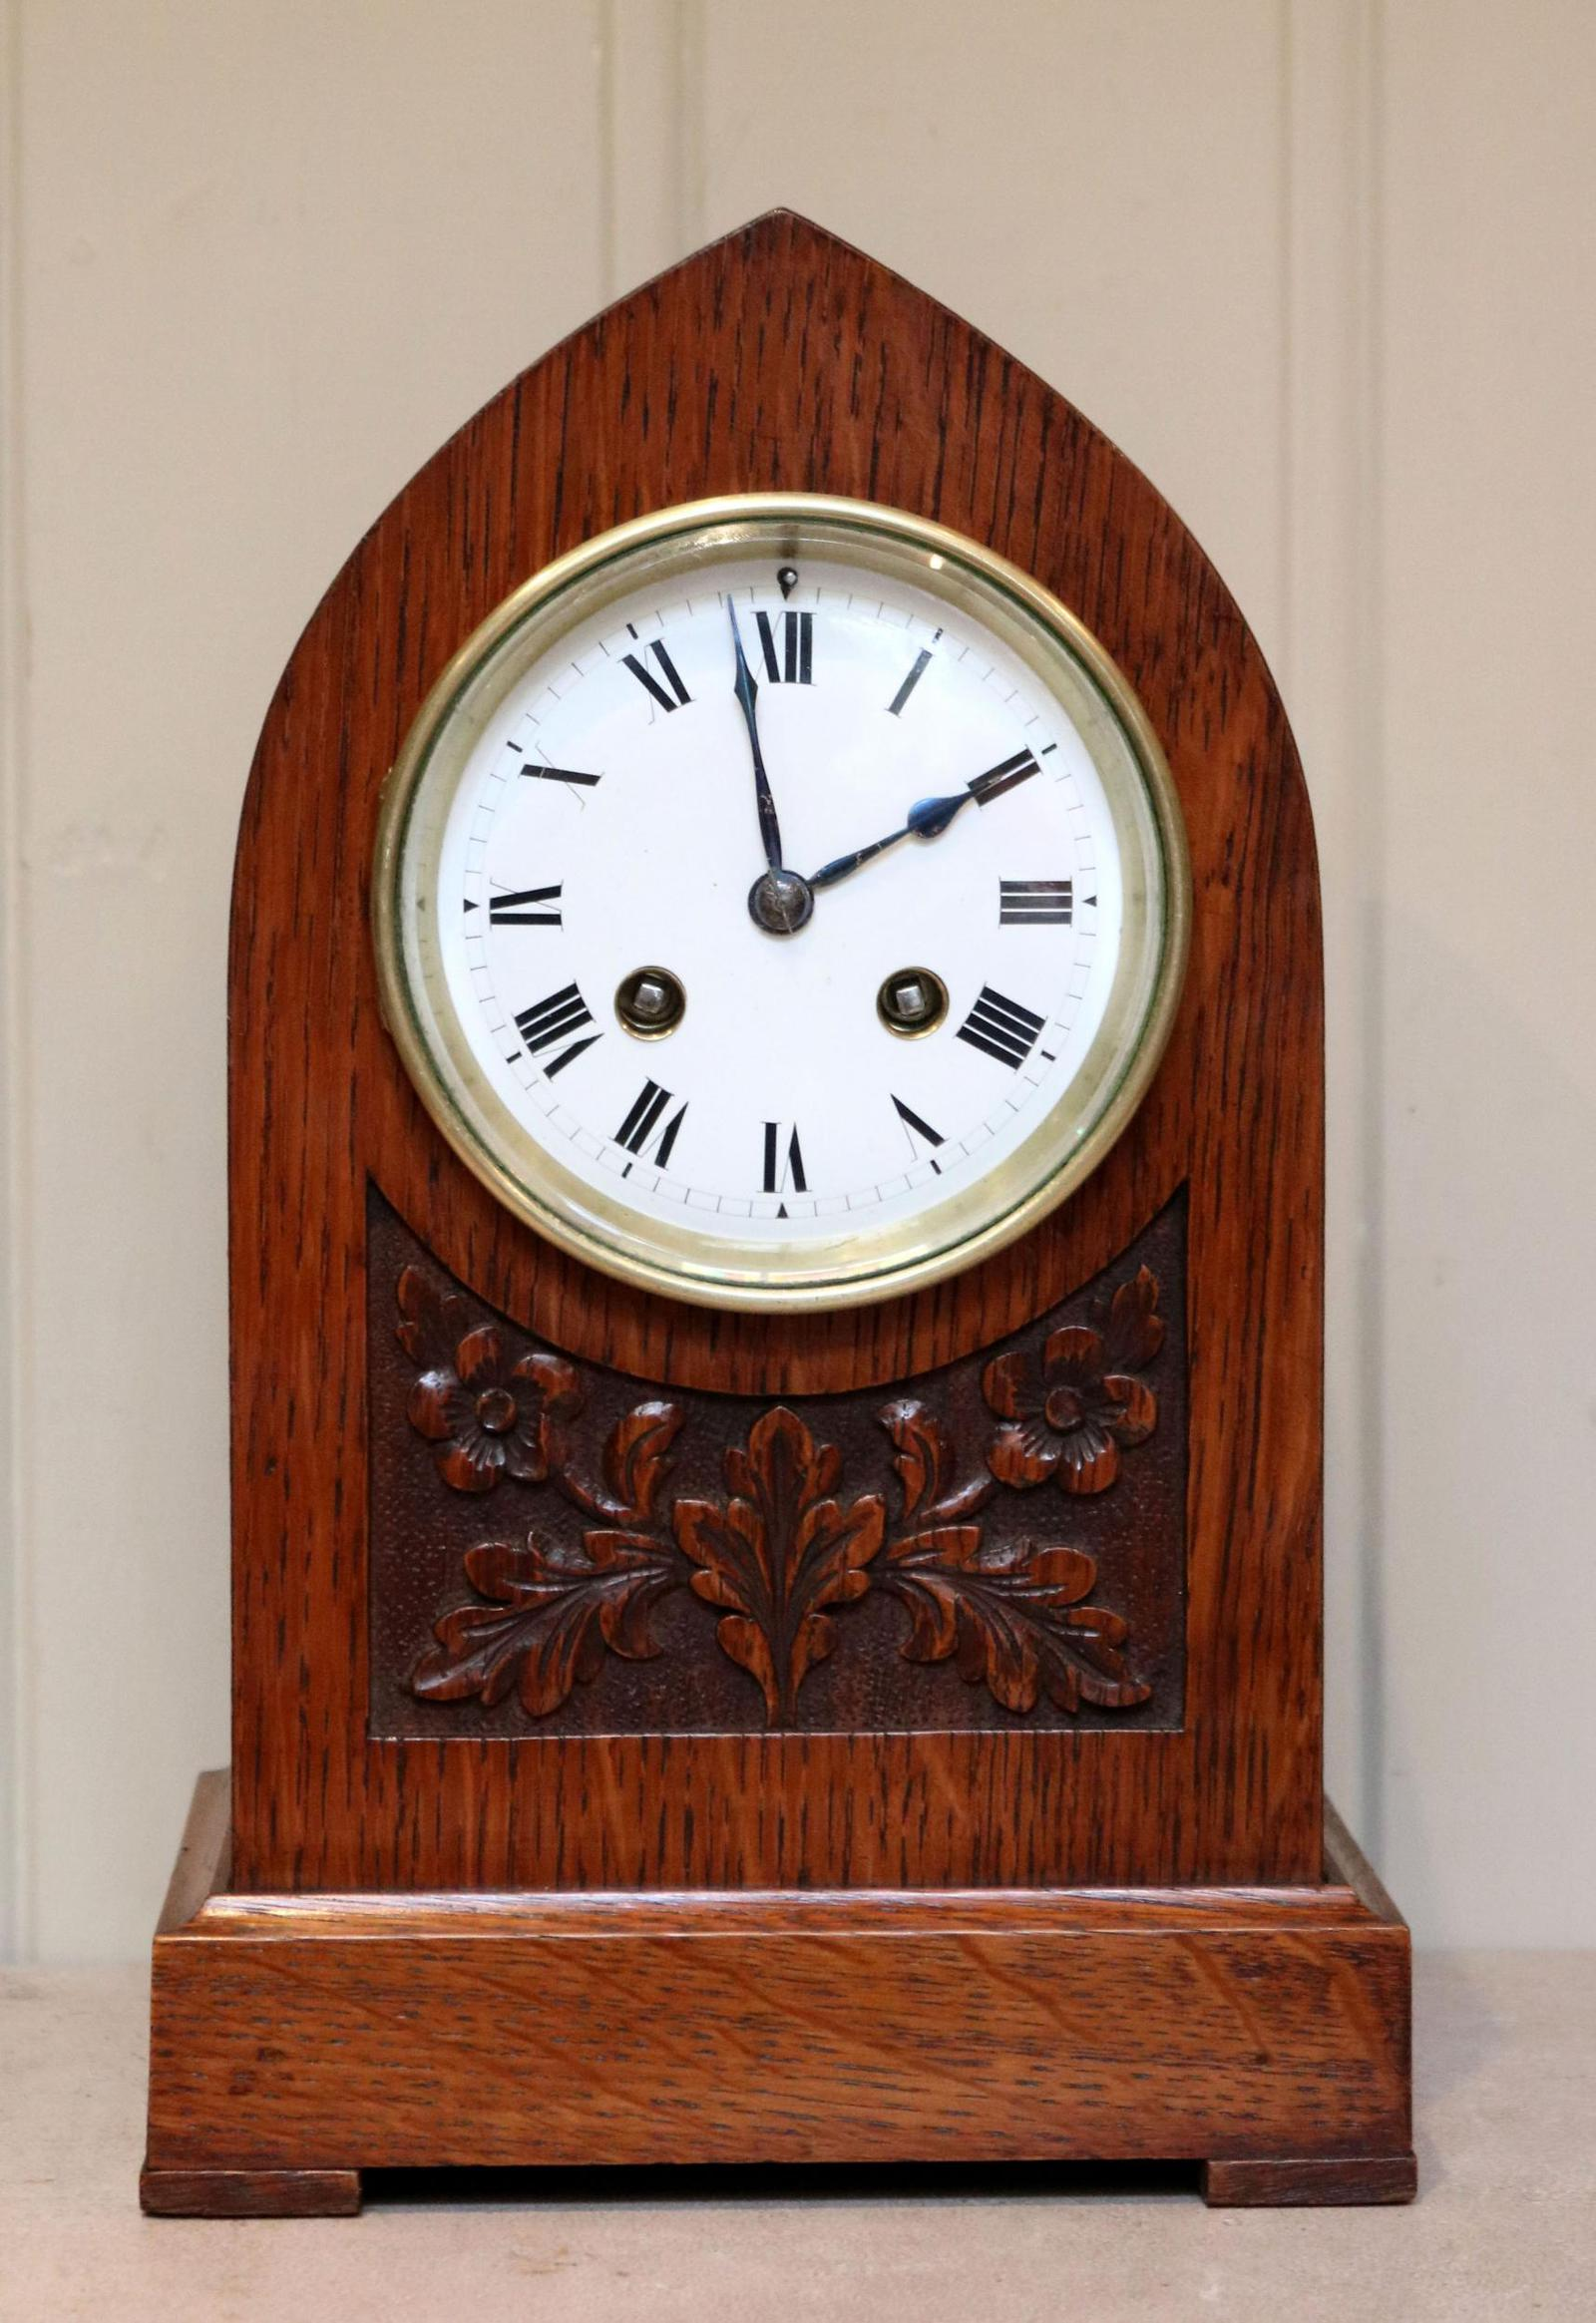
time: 1:58
